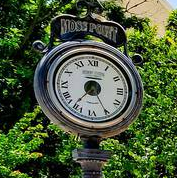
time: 7:36
